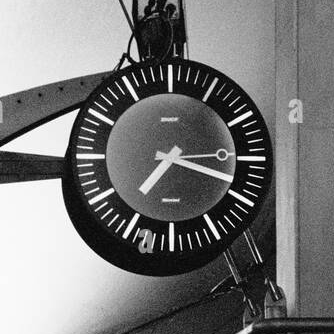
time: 7:18
